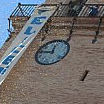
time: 11:46
